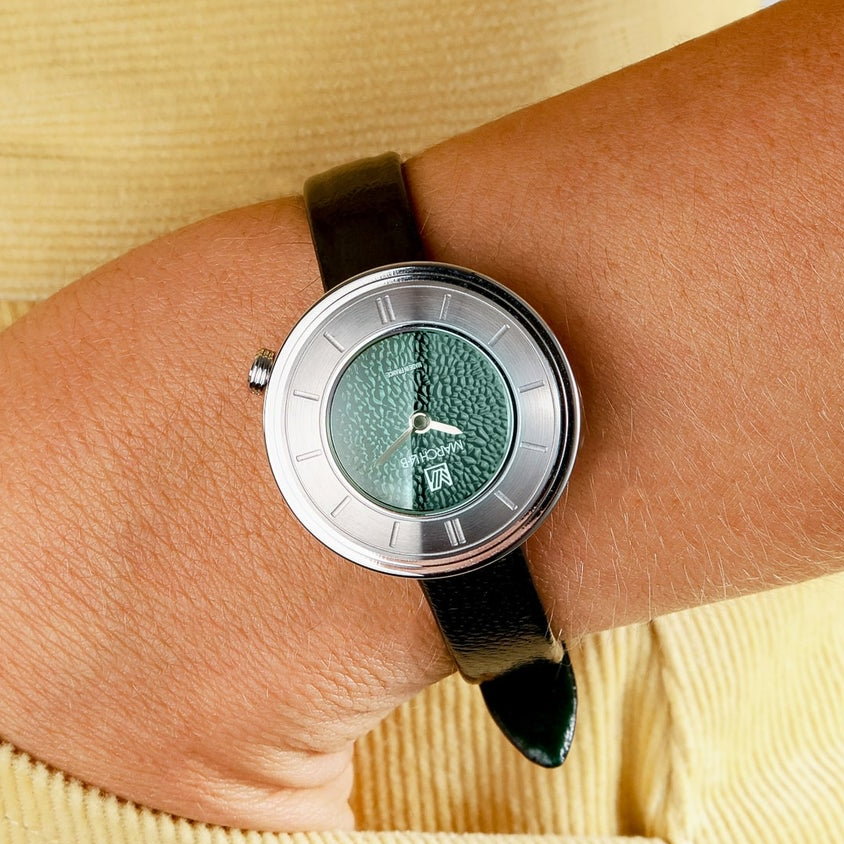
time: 2:58
